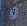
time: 11:02
